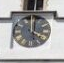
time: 4:01
